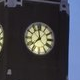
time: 7:58
